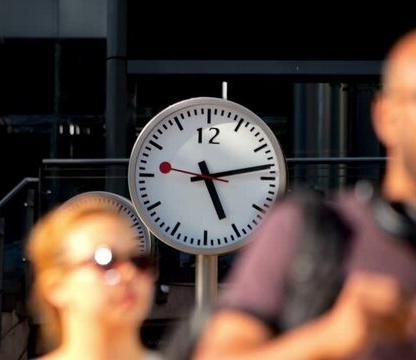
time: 5:13
